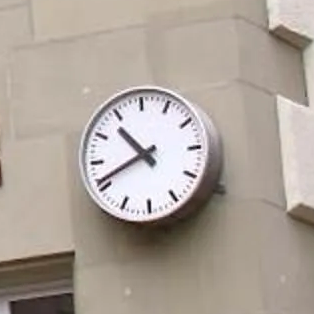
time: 10:41
